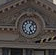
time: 5:06
